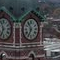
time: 6:54
